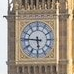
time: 5:45
